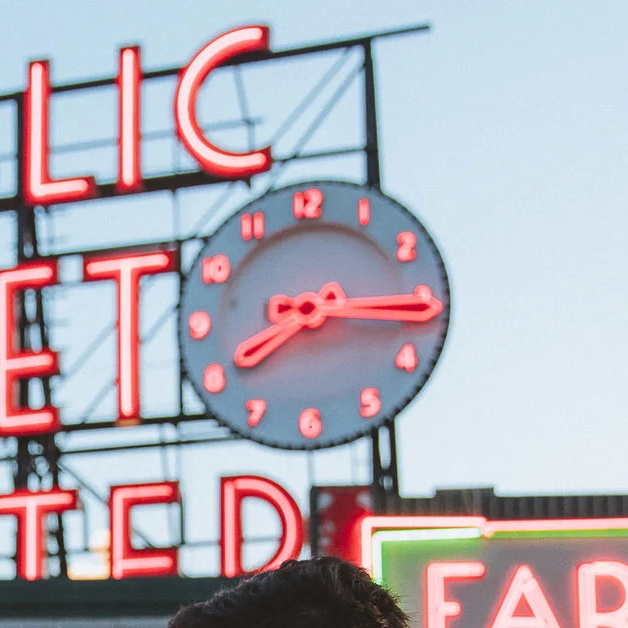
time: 8:15
